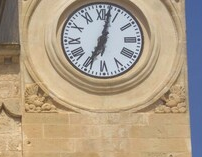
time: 7:02
